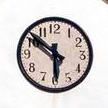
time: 5:51
